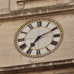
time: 7:10
